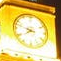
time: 7:47
